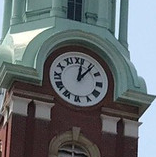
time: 12:06
